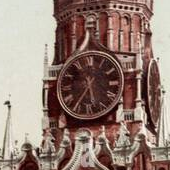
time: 5:35
